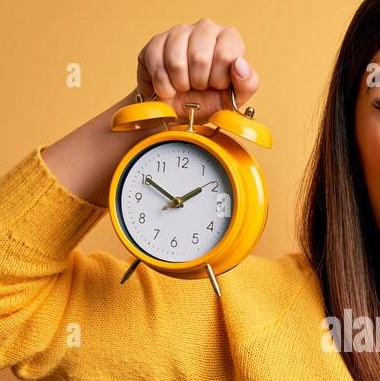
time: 1:50
